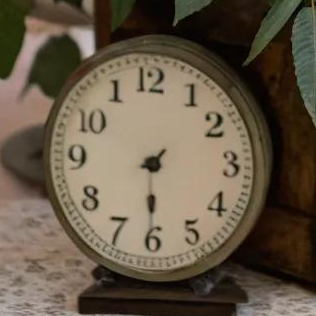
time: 7:30
